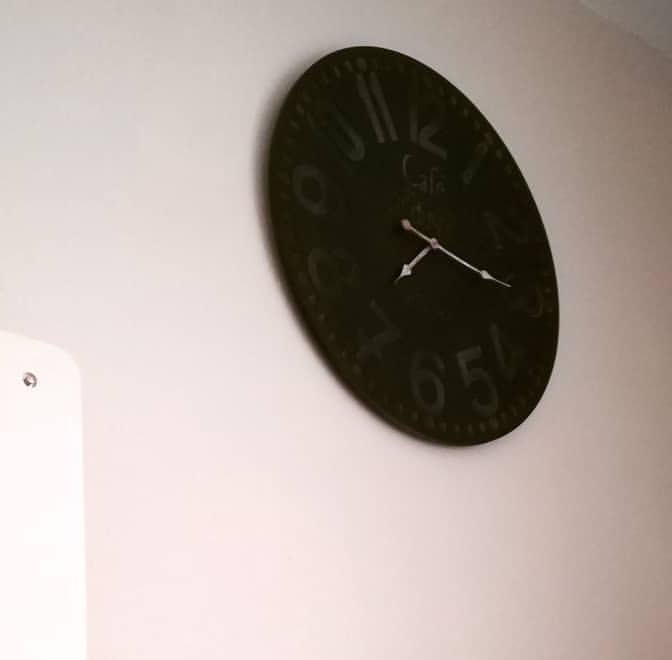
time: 7:15
